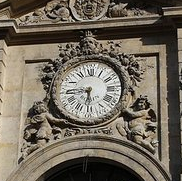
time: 5:45
